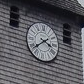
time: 3:38
